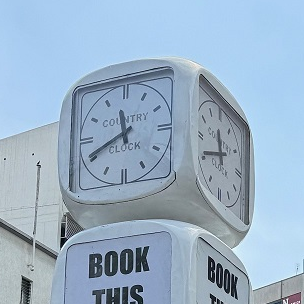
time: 11:41
